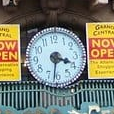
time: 3:31
